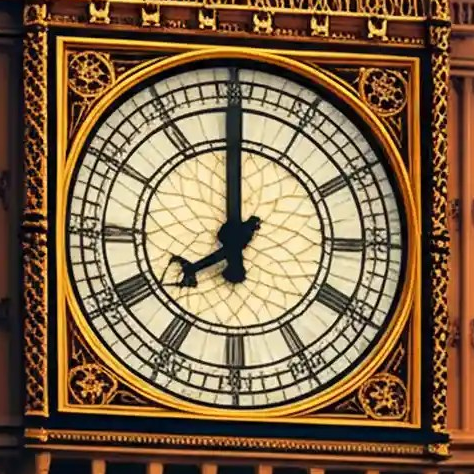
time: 7:59
